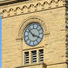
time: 3:52
